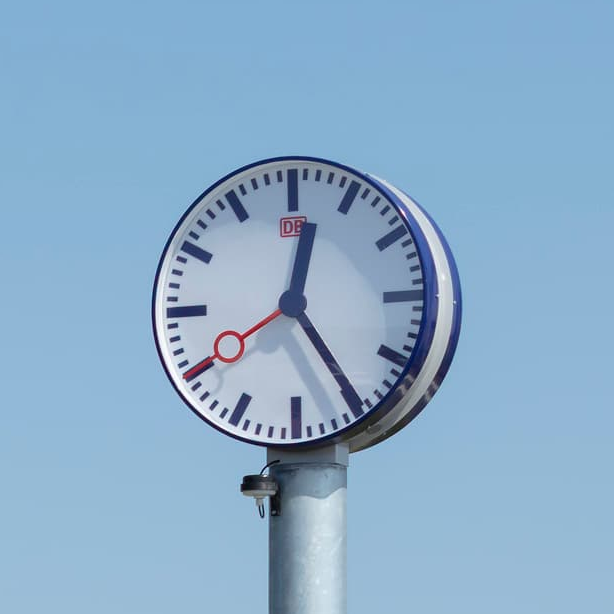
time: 12:24
